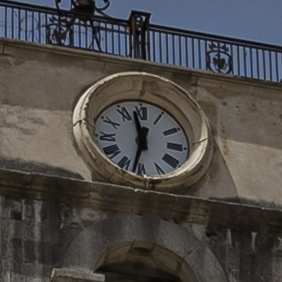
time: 11:32
